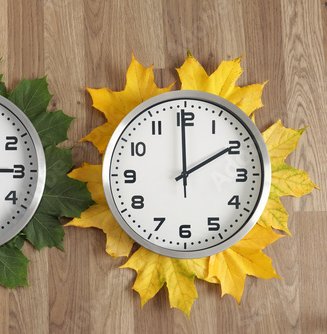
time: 1:59
